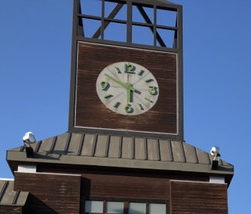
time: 5:49
